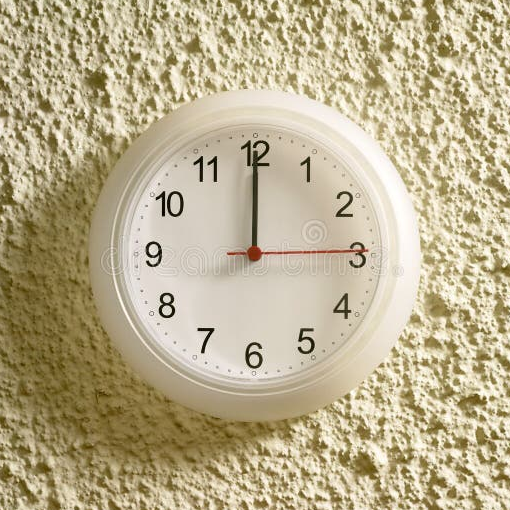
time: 11:59
